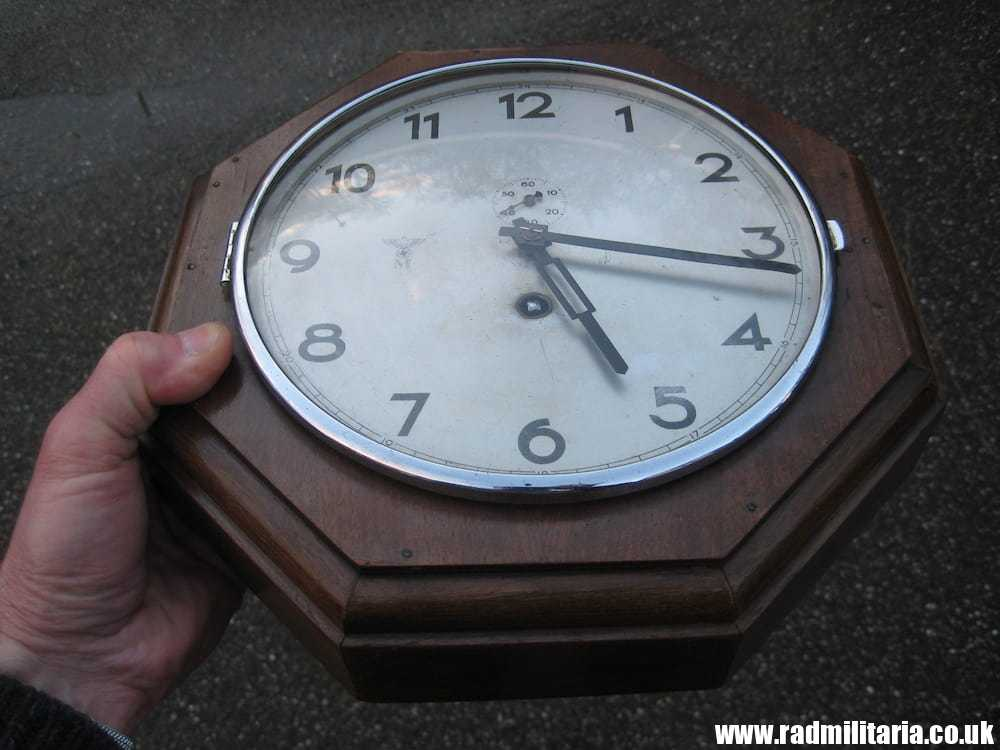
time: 5:16
